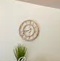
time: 8:31
